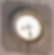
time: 8:27
